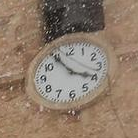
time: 3:54
